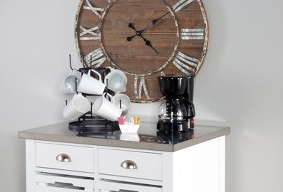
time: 4:09
